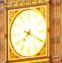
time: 7:19
